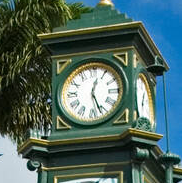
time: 12:26
